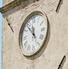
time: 11:53
